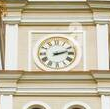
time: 2:12
